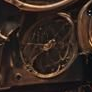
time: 7:46
